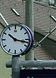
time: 10:17
